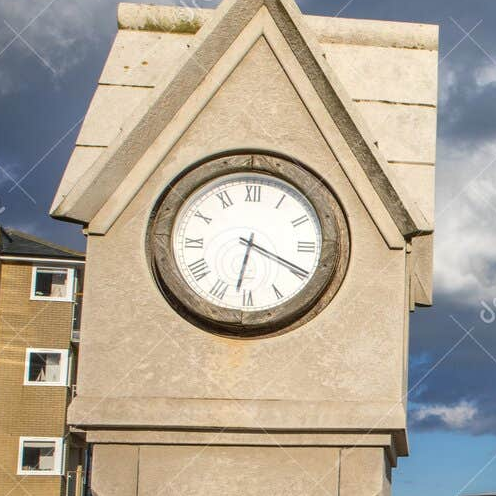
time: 6:19
